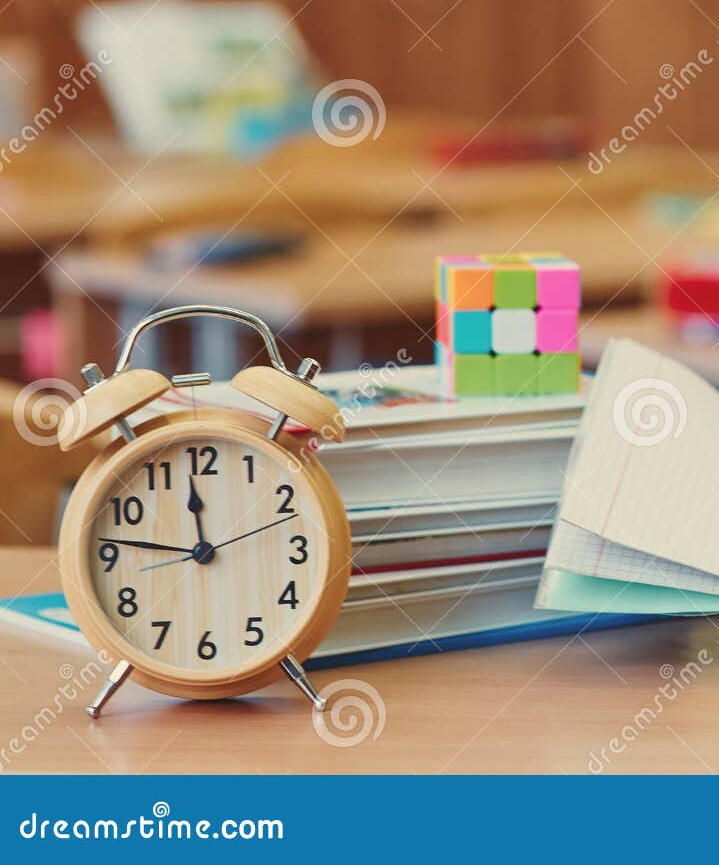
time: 11:46
